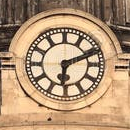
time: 6:11
